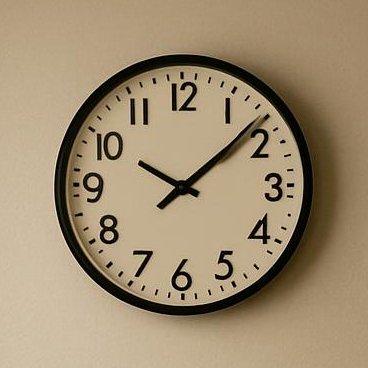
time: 10:08
